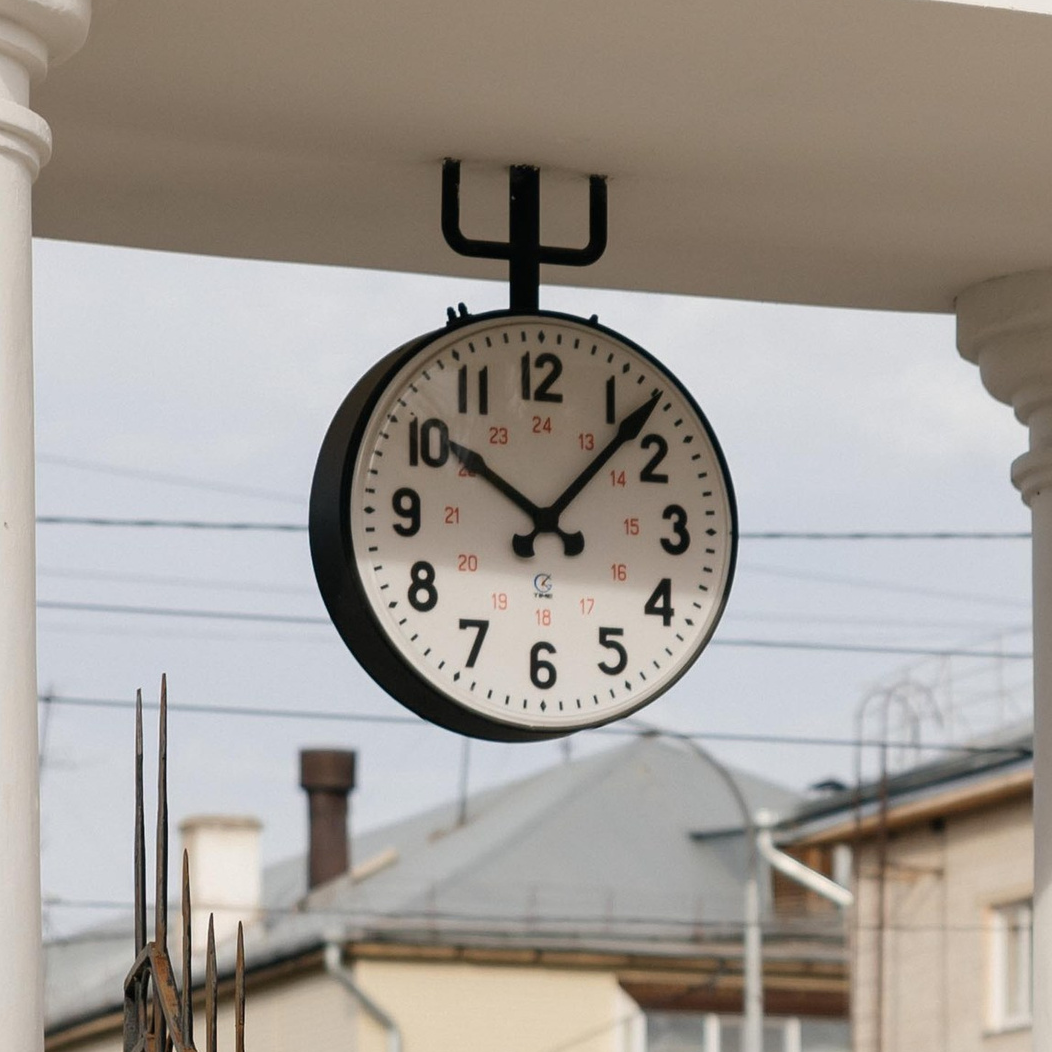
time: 10:07
